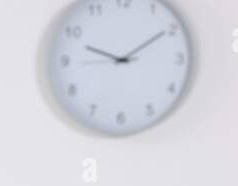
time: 9:44
